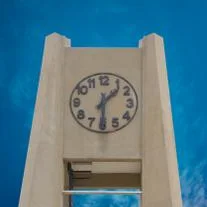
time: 1:30
